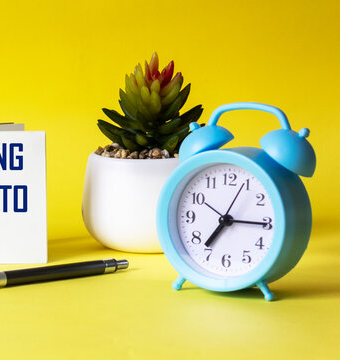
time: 7:15
